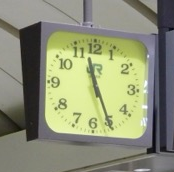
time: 11:25
